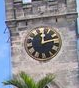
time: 12:12
